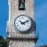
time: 10:10
